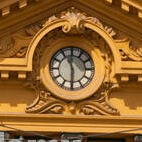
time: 11:30
